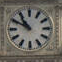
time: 10:50
